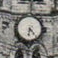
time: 6:23
